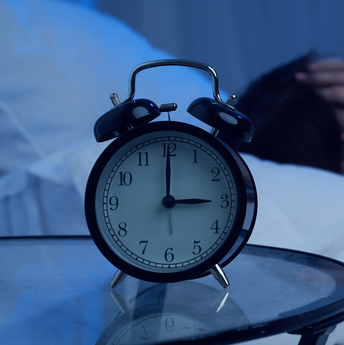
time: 3:00
